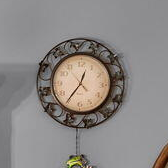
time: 12:36
